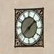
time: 1:37
